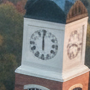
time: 5:59
